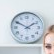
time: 1:50
